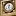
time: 12:26
